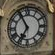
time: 6:55
